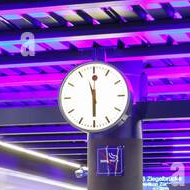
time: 5:57
